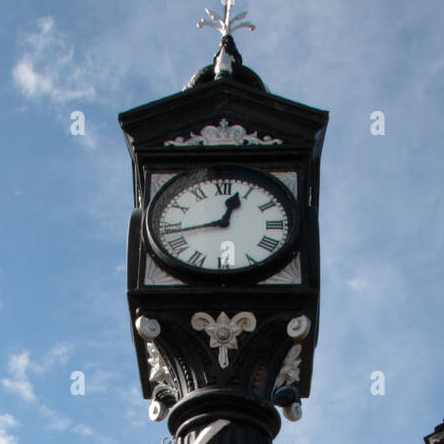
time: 12:43
